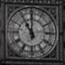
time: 11:00
